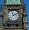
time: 11:10
